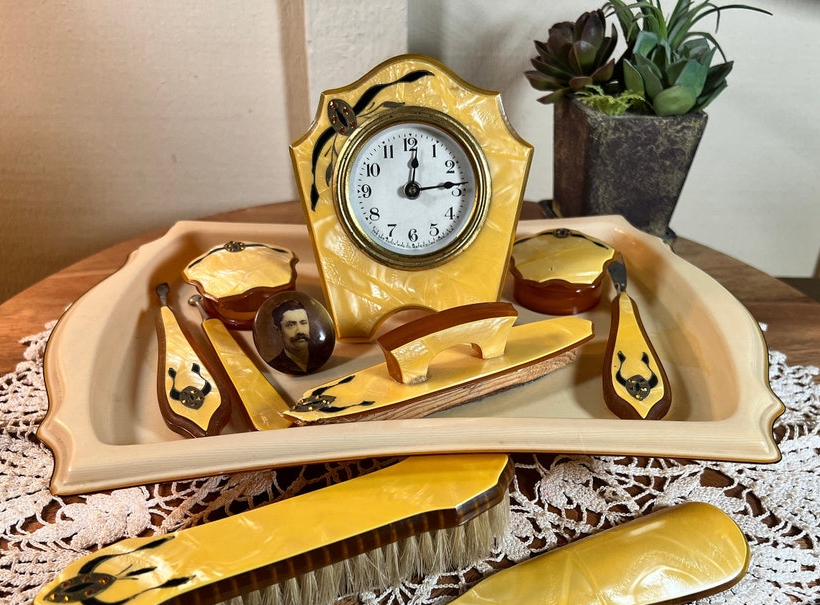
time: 12:14
